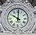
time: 10:00
